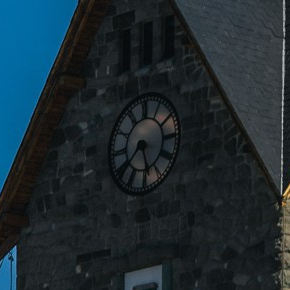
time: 5:38
